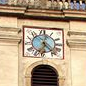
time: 12:23
